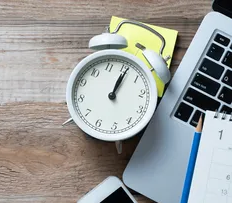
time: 1:06
